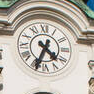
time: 4:34
